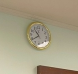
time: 10:39
